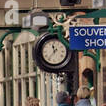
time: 11:36
